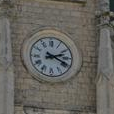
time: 2:18
